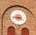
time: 3:43
